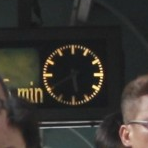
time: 5:40
